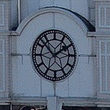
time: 1:52
